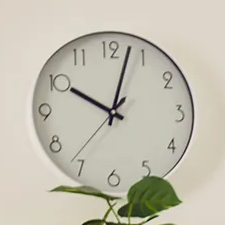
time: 10:02
